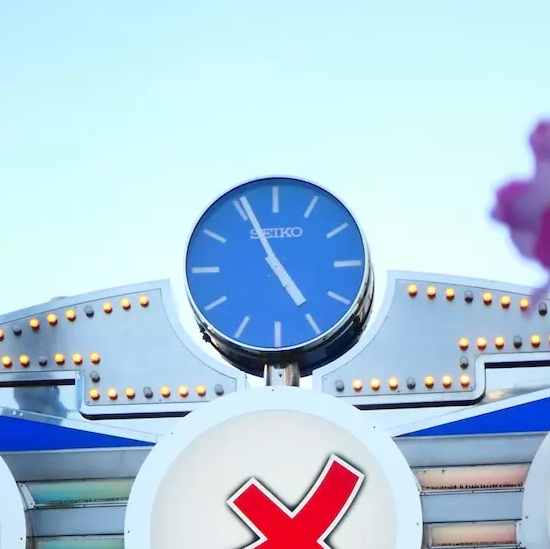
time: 4:56
